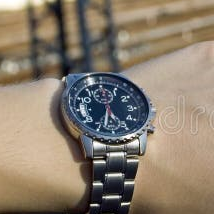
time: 5:32
